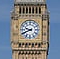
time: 9:41
